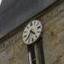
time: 4:35
